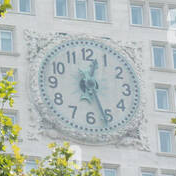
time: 12:26
